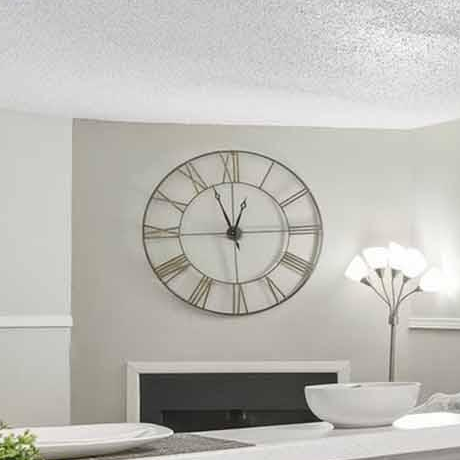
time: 12:56
